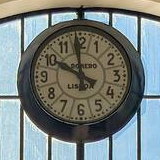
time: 9:59
